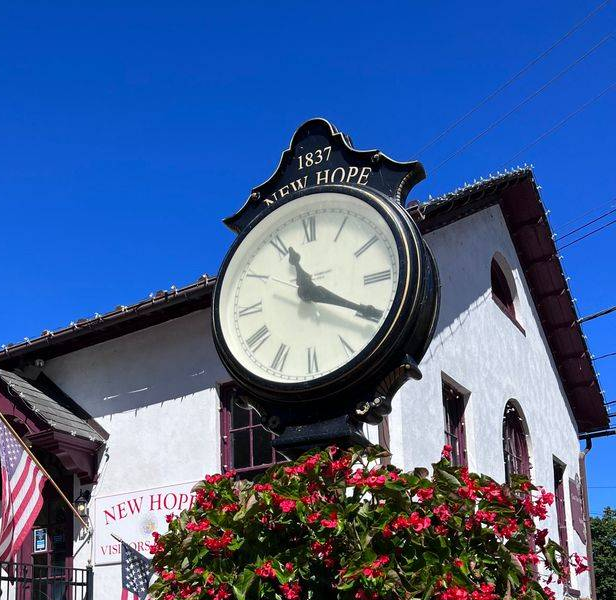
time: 11:19
